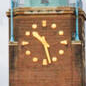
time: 10:27
